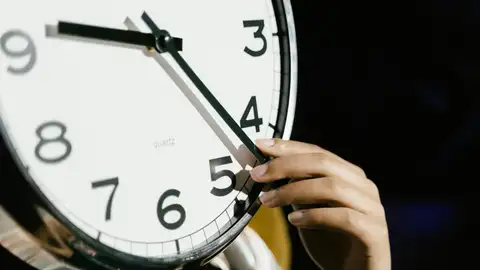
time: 9:22
